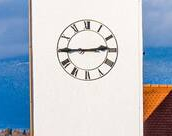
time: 2:44
